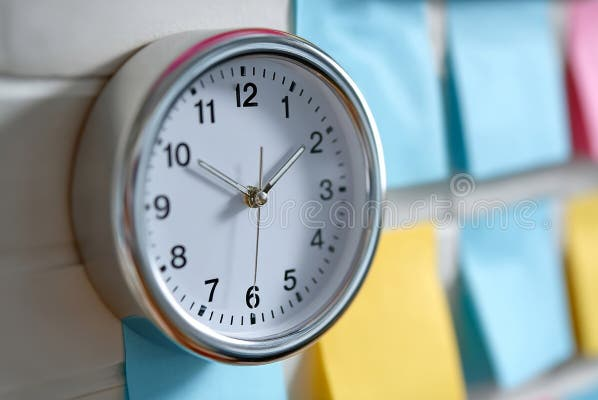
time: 1:49
